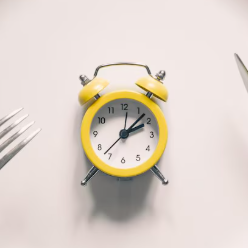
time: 2:07
